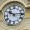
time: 10:14
